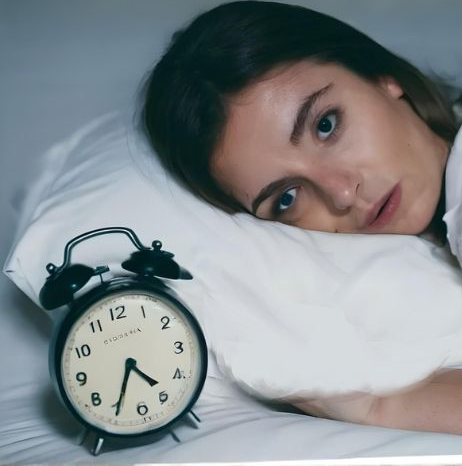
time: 4:35
